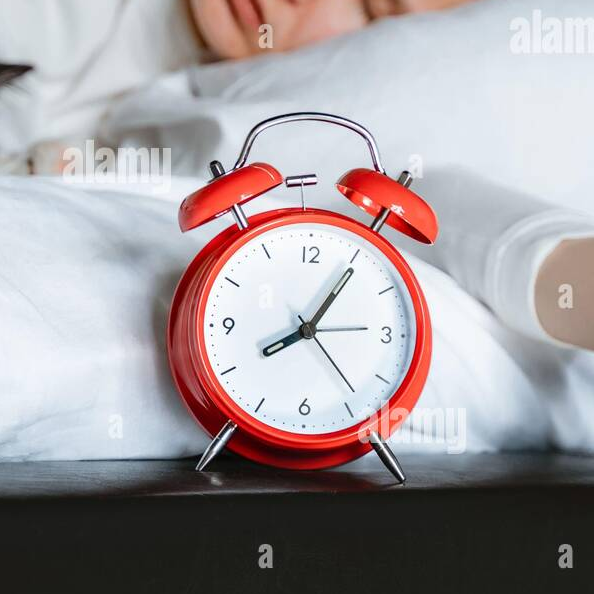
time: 8:05
